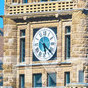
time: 5:21
